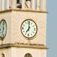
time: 7:00
